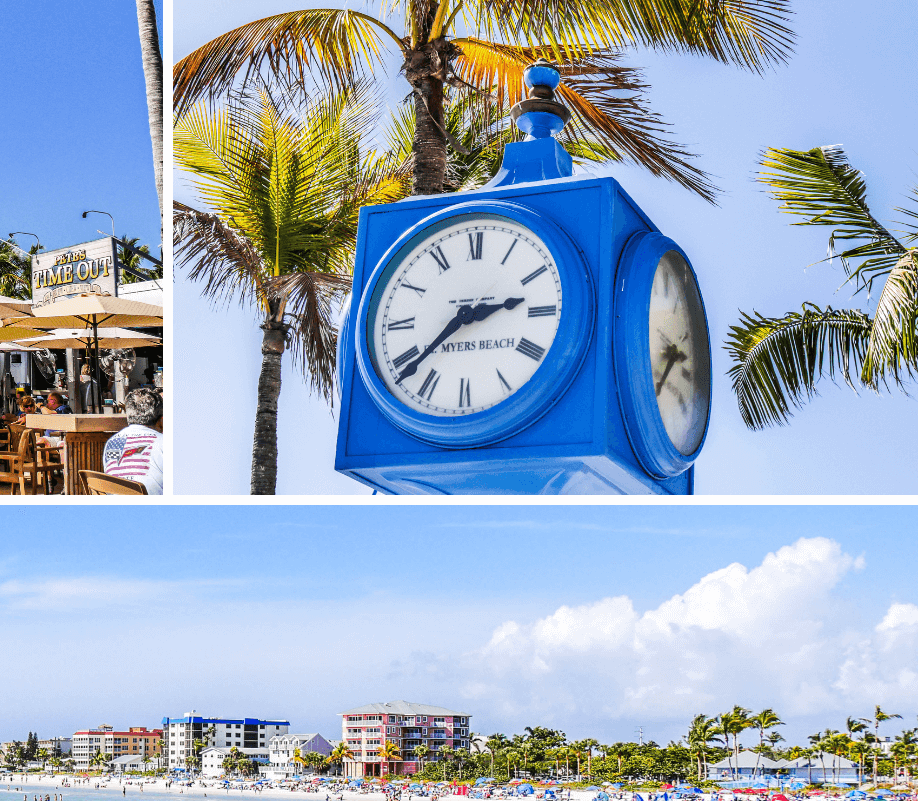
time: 2:38
